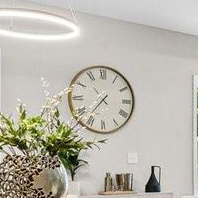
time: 10:36
